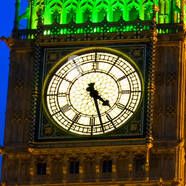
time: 4:27
